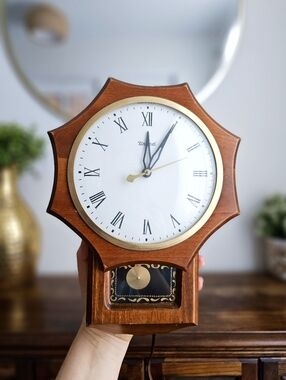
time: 12:05
